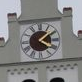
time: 4:08
